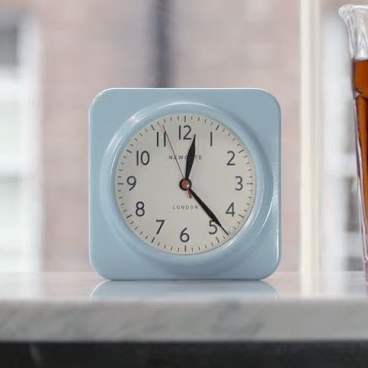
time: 12:23
